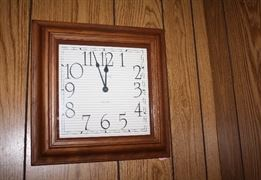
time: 11:56
